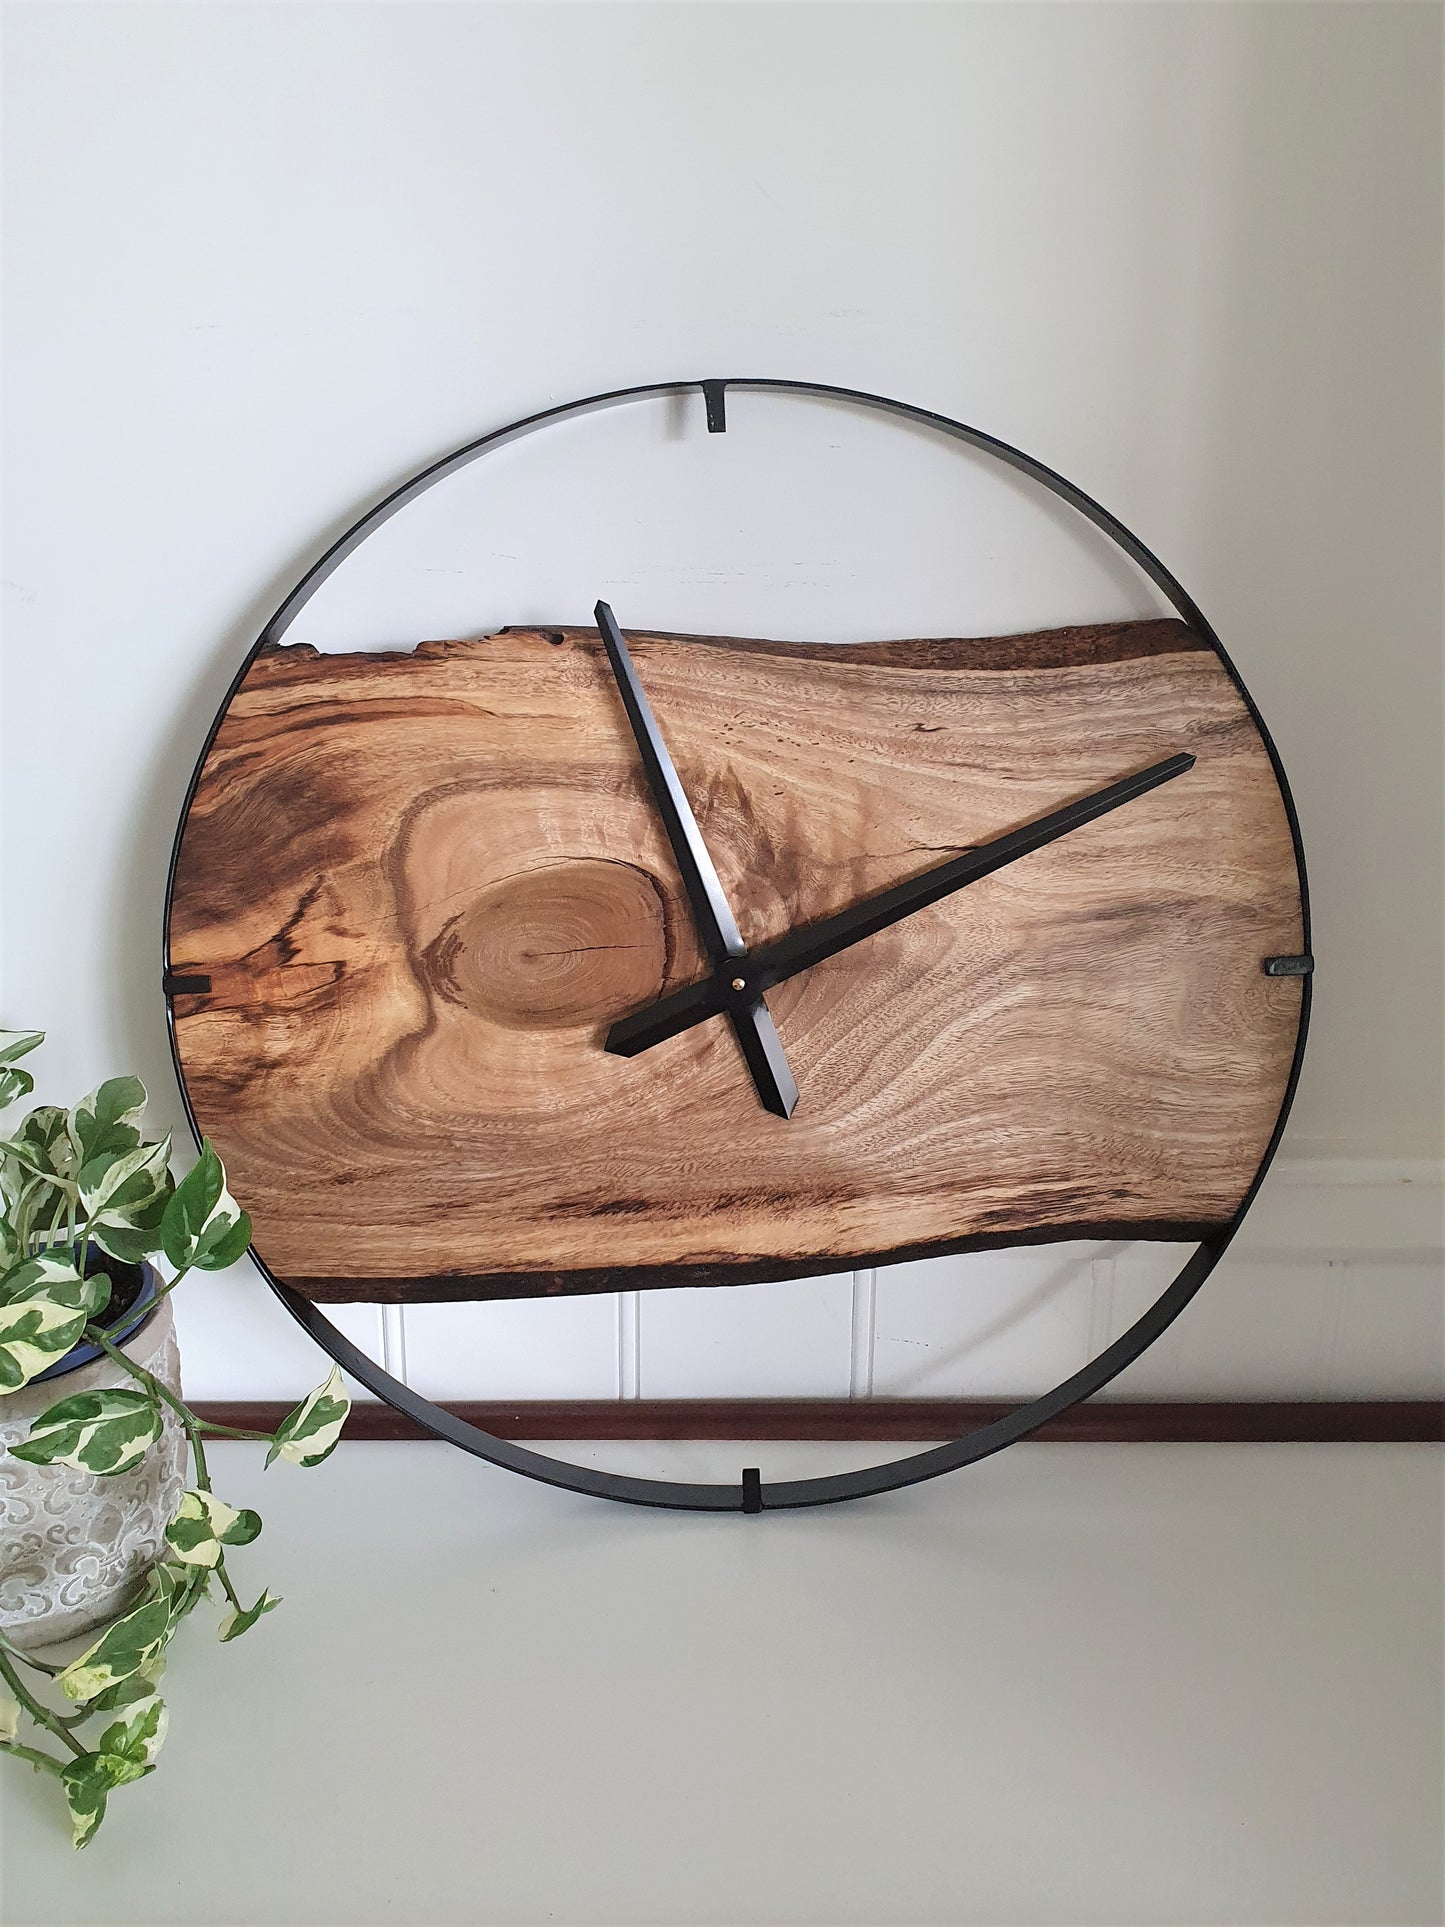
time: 11:10
